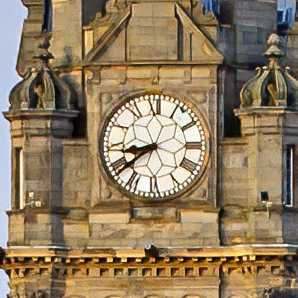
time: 8:38
